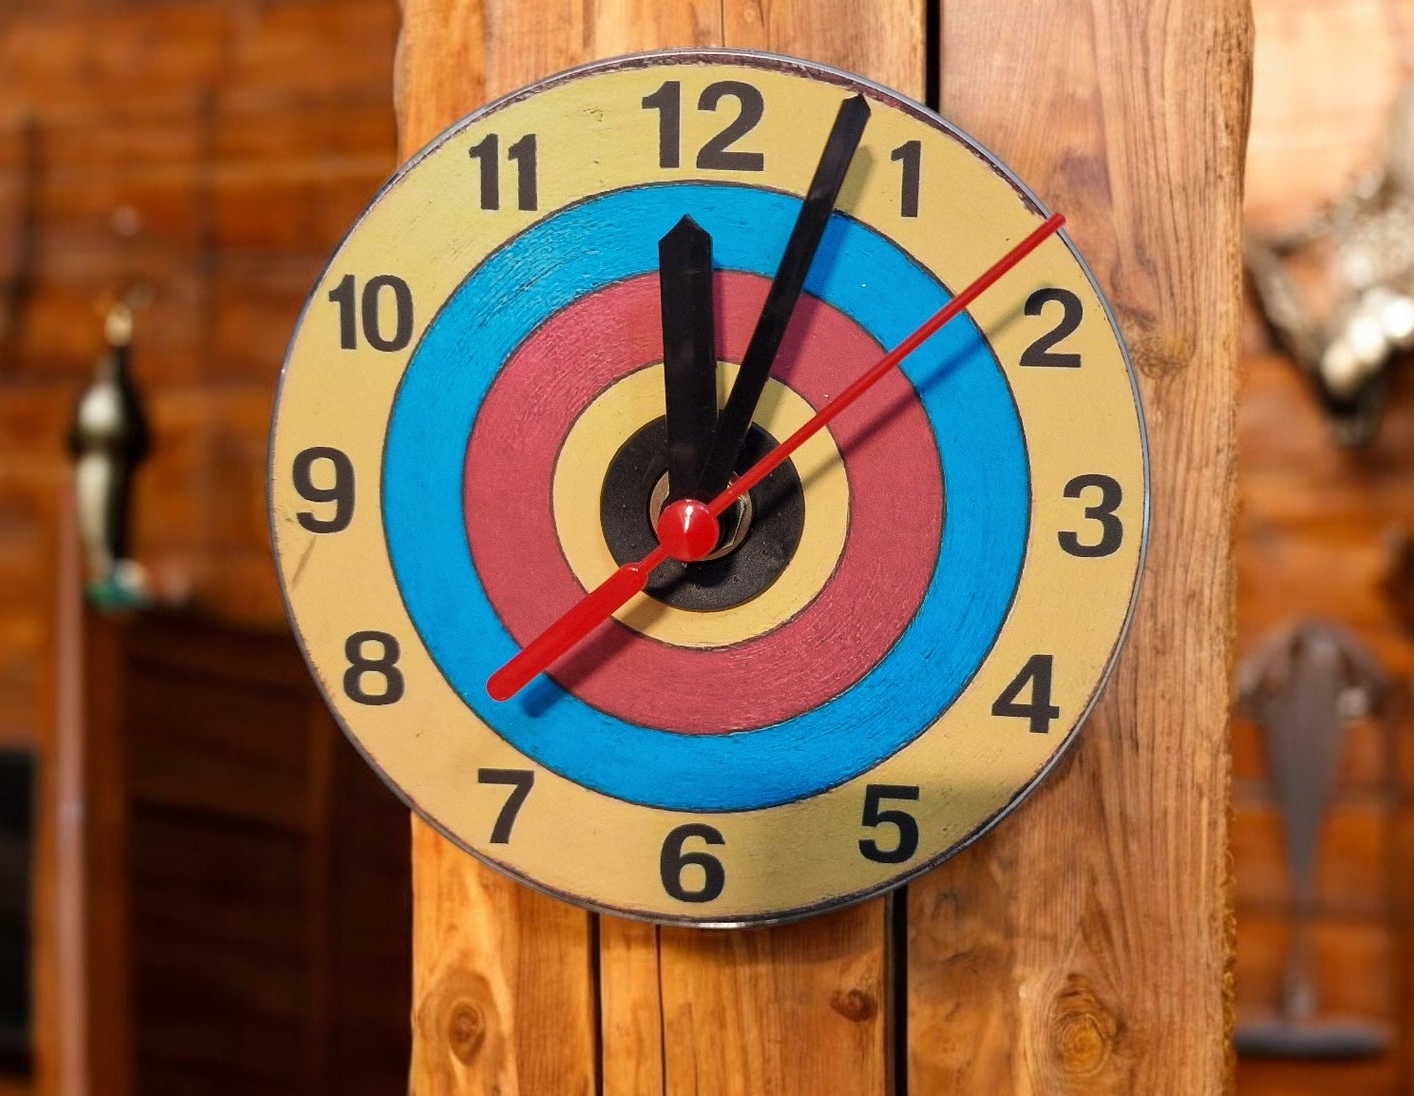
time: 12:03
